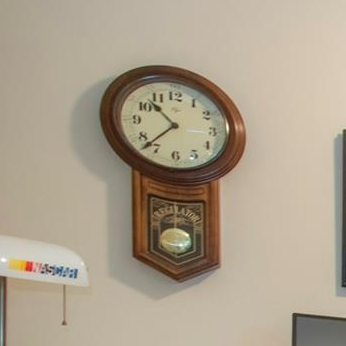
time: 10:37
